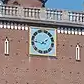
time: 1:46
